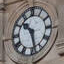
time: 10:28
